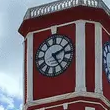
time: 2:24
